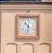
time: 10:32
